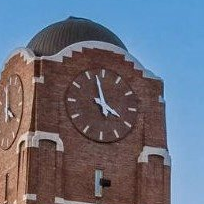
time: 3:57
